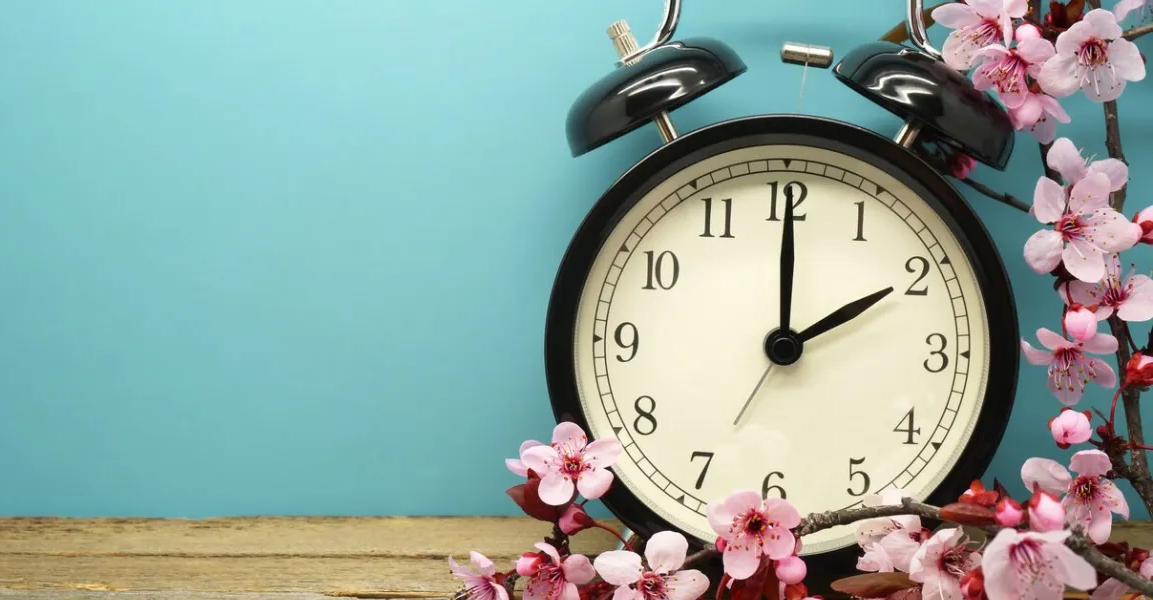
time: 2:00
